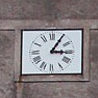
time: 3:05
